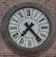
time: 7:23
